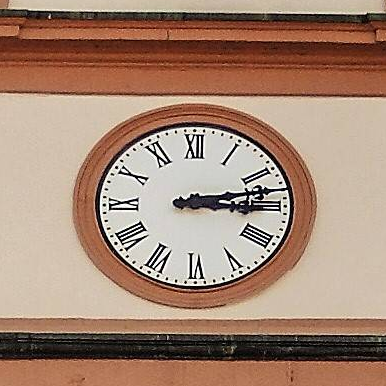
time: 3:13
